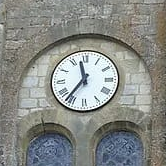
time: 11:36
